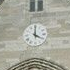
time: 4:00
